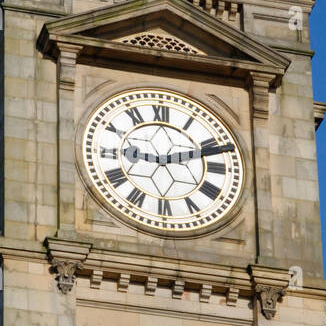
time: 9:12
